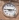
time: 2:45
